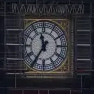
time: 11:35
